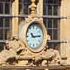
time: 10:14
